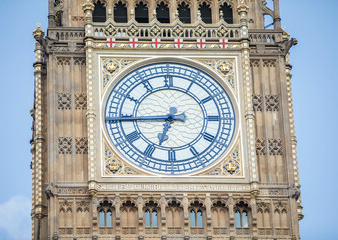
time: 6:44
